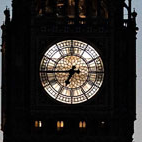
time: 6:44
